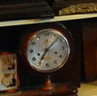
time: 7:07
